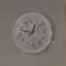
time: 12:47
